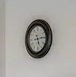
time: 5:14
